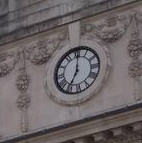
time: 7:00
